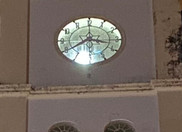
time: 3:39
